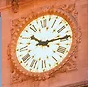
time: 10:14
